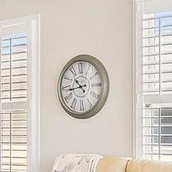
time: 10:43
